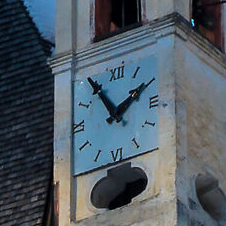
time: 1:54
